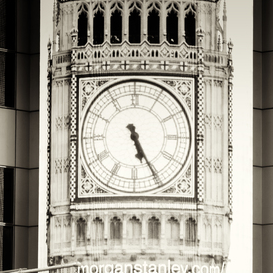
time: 5:25
